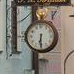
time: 6:29
